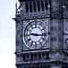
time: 9:16
